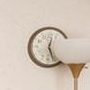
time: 12:26
